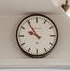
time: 9:54
